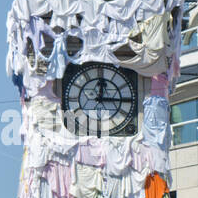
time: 12:15
